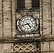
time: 4:42
